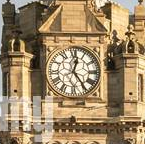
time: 12:23
